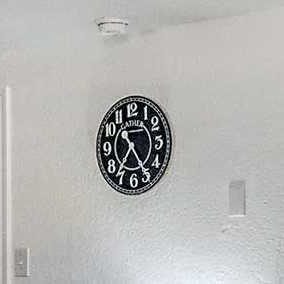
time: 7:24
